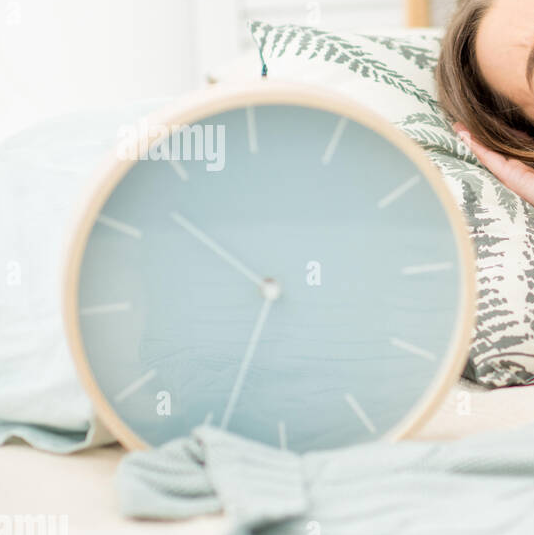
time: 10:34
